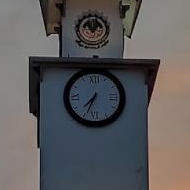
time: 7:34
